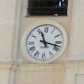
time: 11:17
